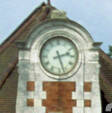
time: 2:26
